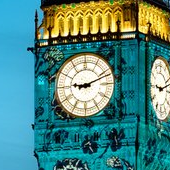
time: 9:11
